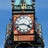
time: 3:43
